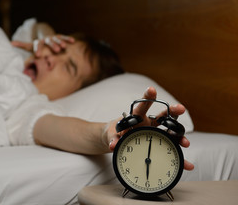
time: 6:01
